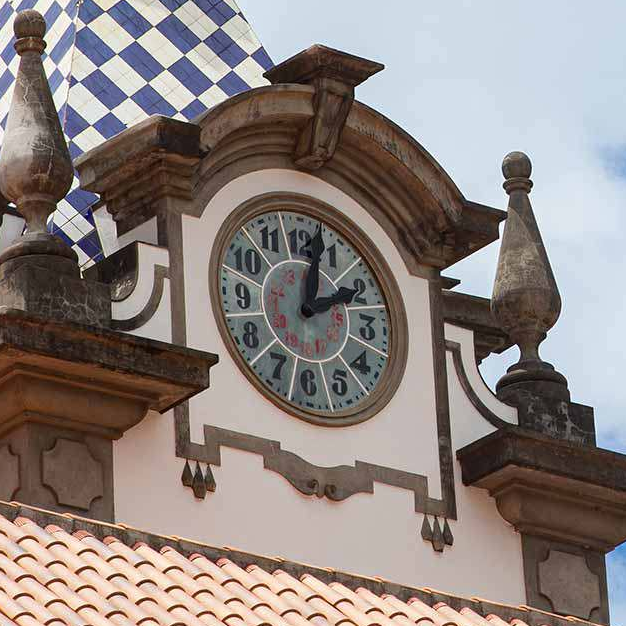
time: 2:02
